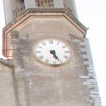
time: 5:26
